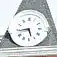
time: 5:44
